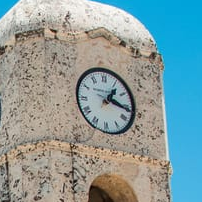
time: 1:16
